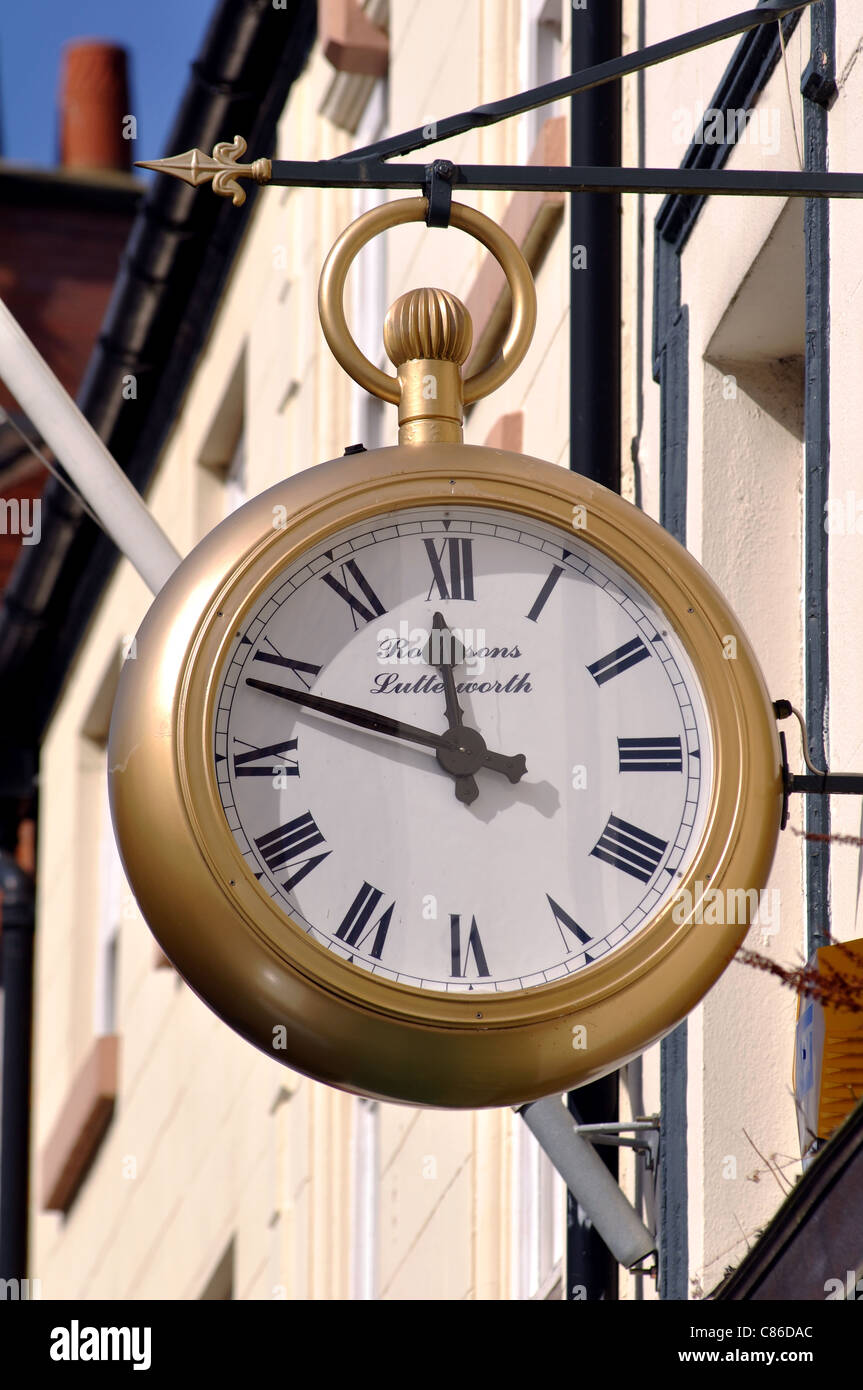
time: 11:48
